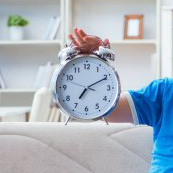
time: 7:10
